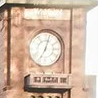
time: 7:03
